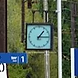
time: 1:14
